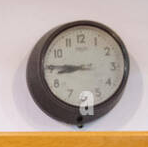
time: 8:45
